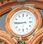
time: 8:45
